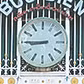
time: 8:45
